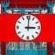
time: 3:00
